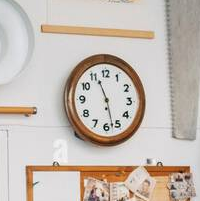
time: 11:27
